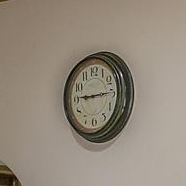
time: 9:14
